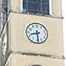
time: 8:29
